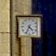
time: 4:34
